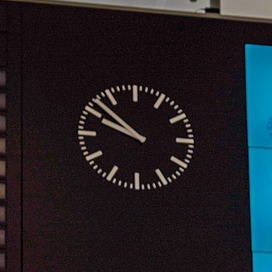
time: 9:52
